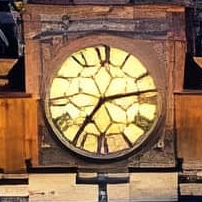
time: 7:13
